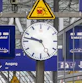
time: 9:47
